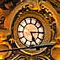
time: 5:14
